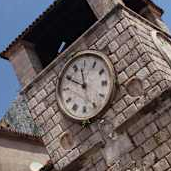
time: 11:49
